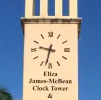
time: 9:32
